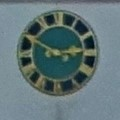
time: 2:49
